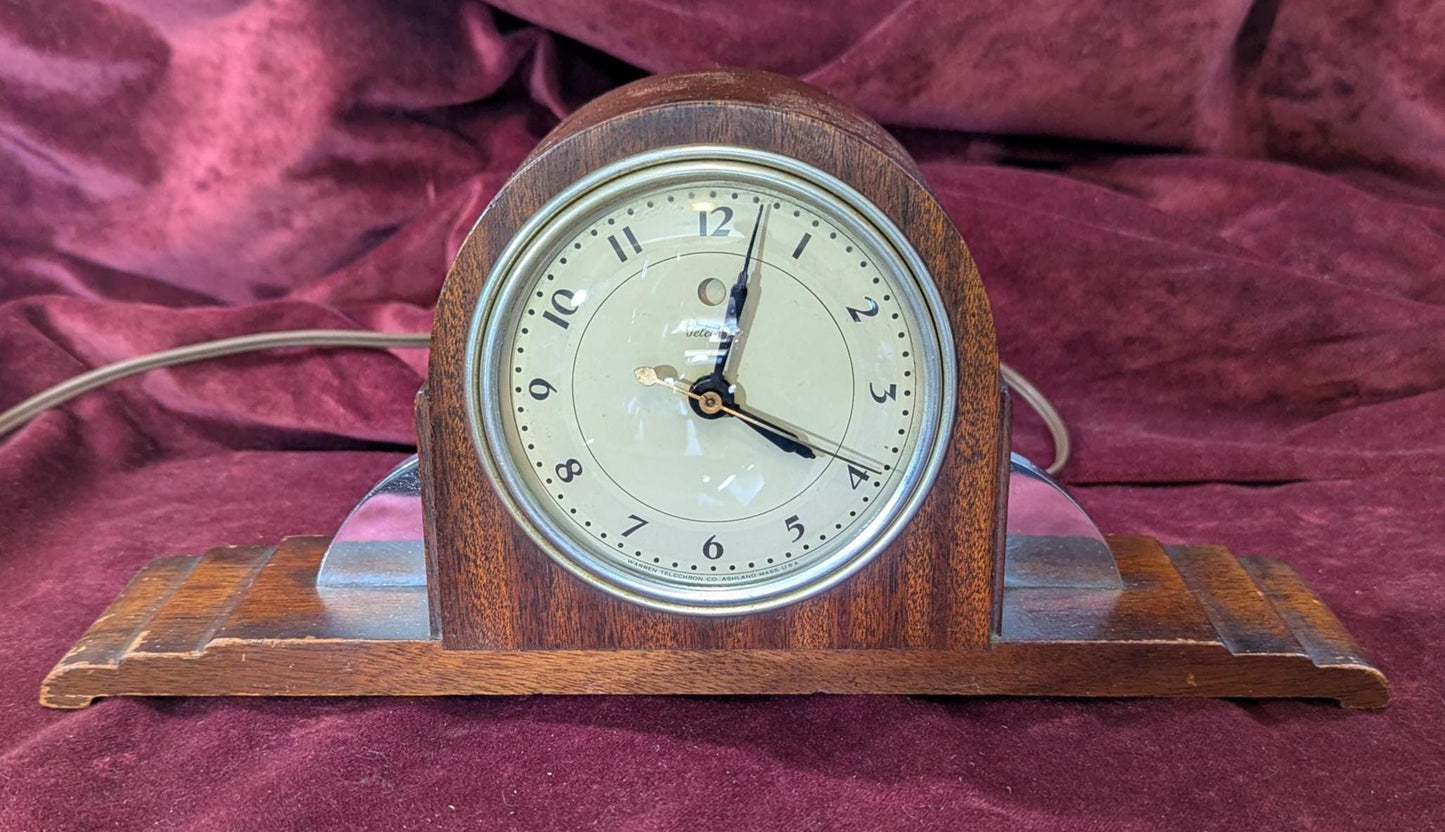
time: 4:02
